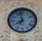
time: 7:58
